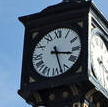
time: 3:27
